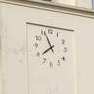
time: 7:56
